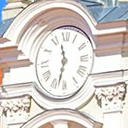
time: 11:32
